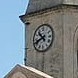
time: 10:41
